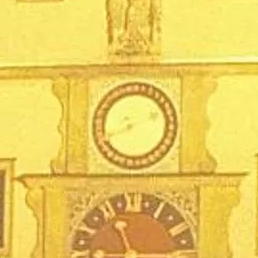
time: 8:11
